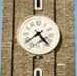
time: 4:38
